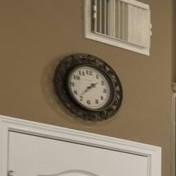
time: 1:36
